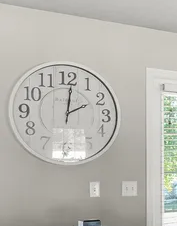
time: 2:01
